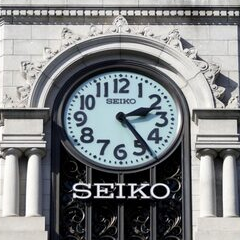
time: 2:23
